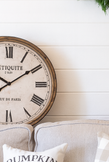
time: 10:09
